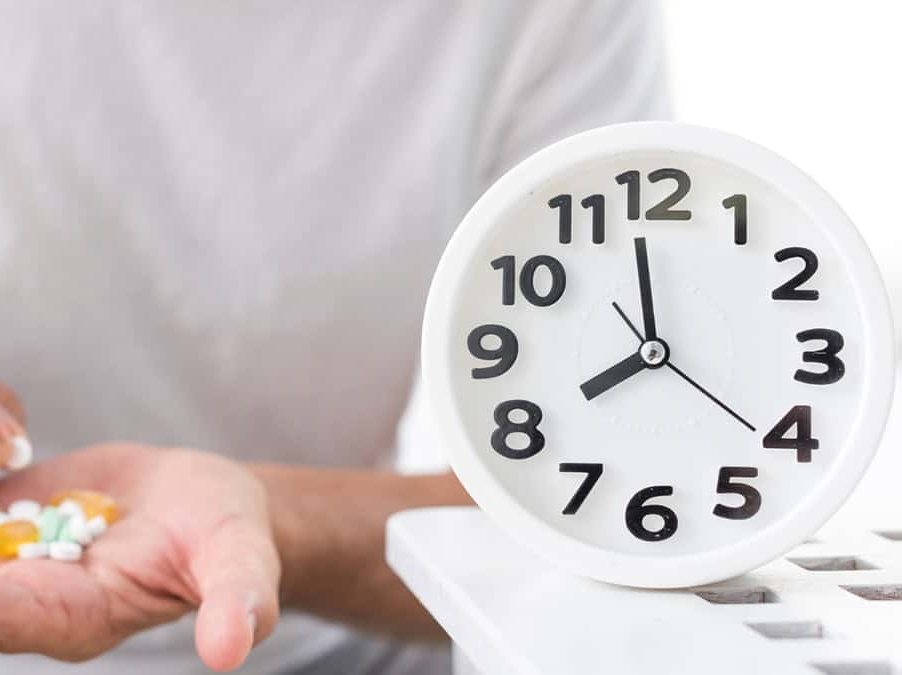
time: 7:58
